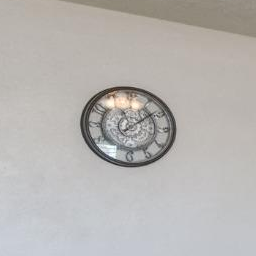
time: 11:08
